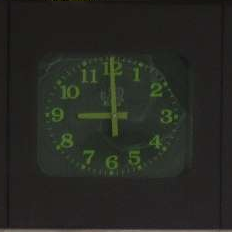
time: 8:59
